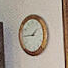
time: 1:44
